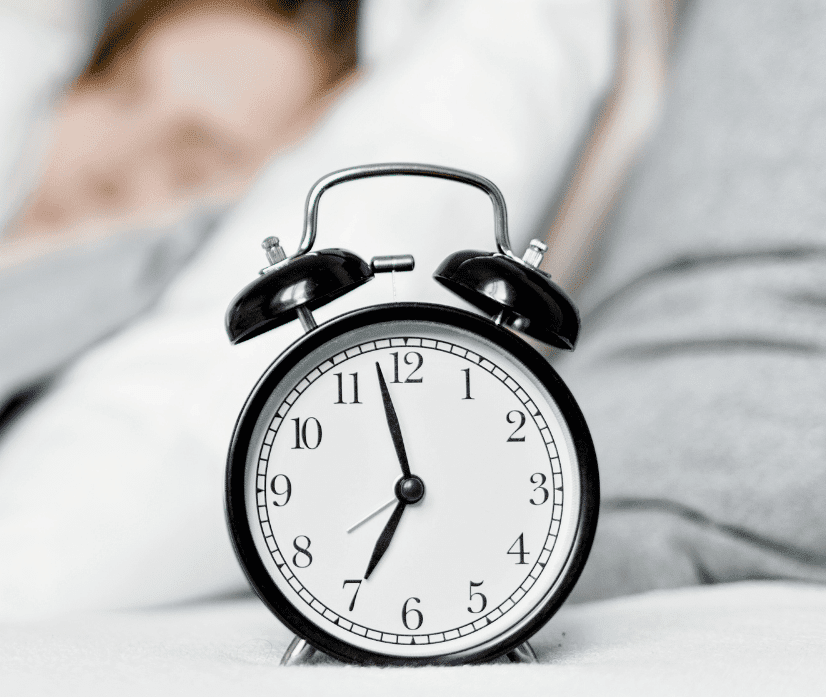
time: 6:58
